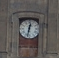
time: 12:32
